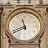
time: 11:41
